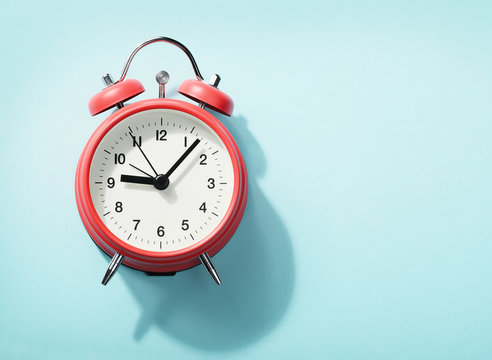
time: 9:07
